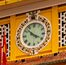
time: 3:52
